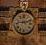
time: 9:12
